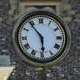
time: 5:54
